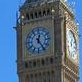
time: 12:24
